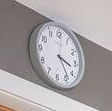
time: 3:23
